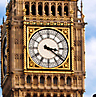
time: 3:21
